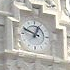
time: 12:48
